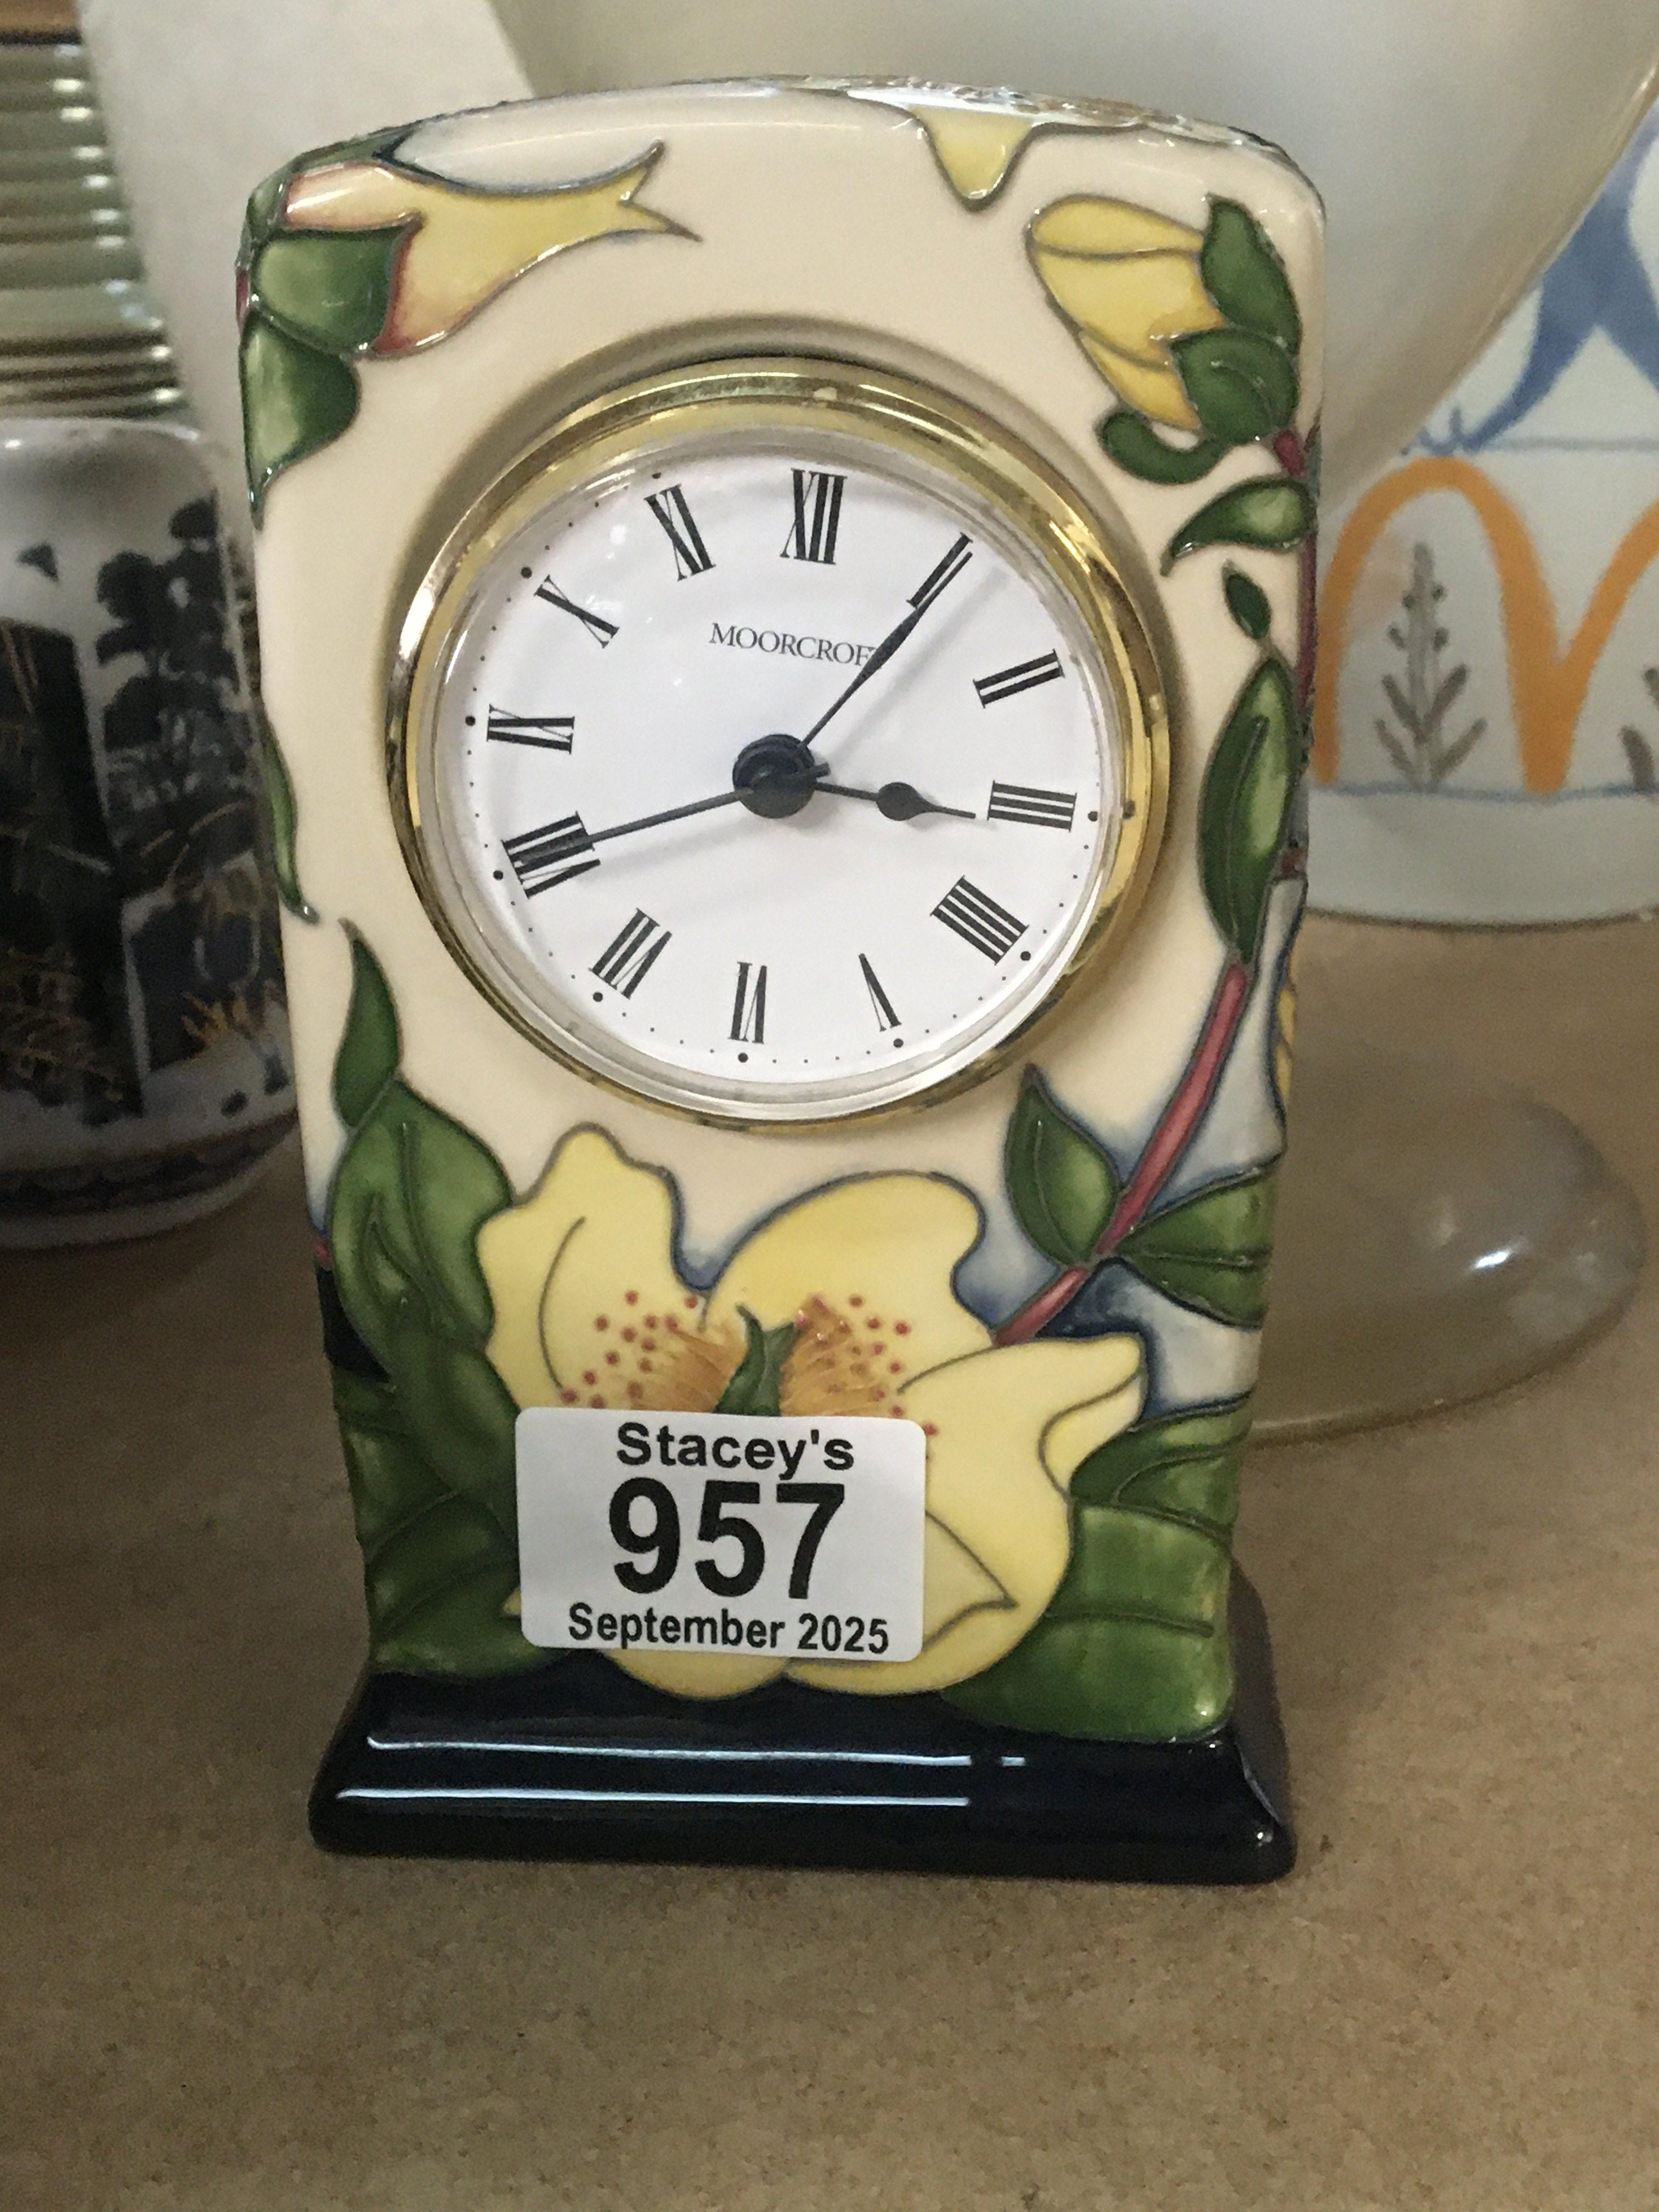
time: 3:05
